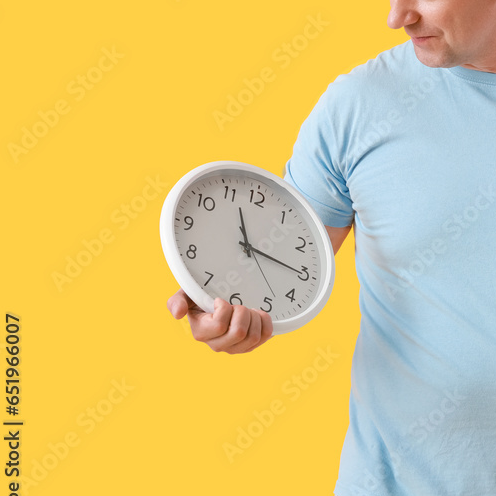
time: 11:15
